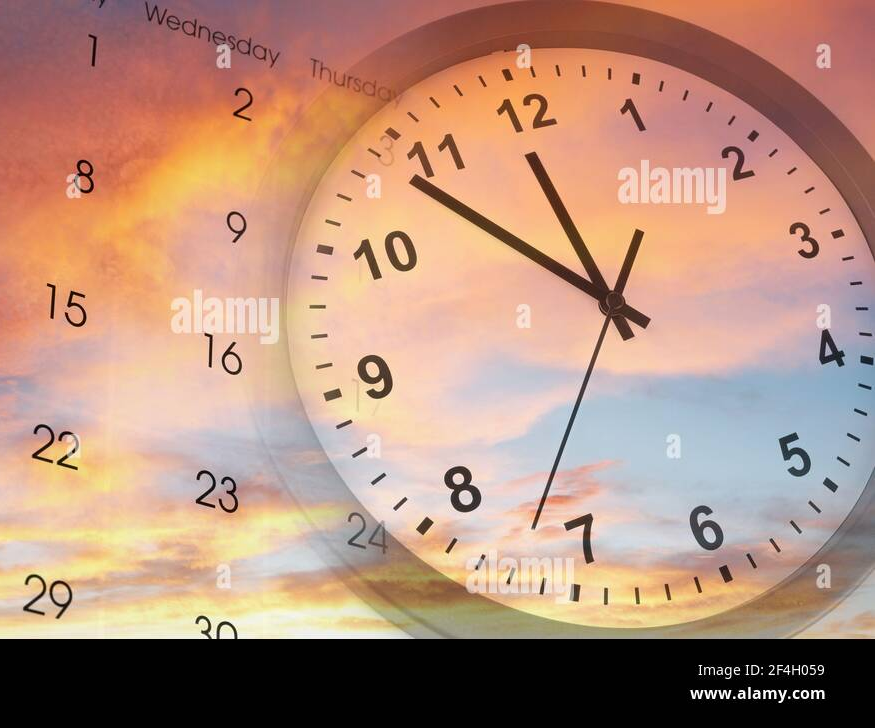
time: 11:53
